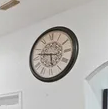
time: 5:46
